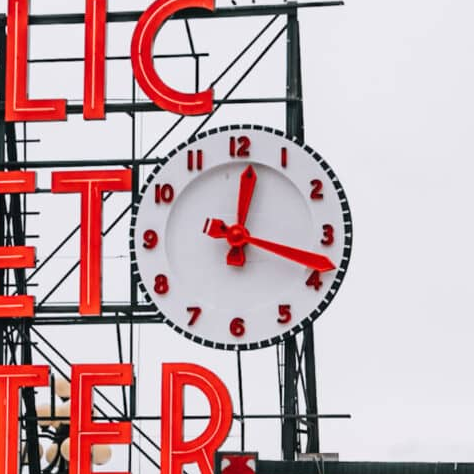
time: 12:18
